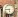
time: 5:45
